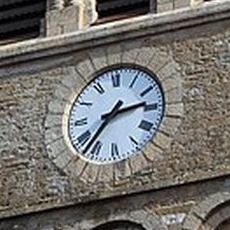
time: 2:36
